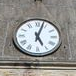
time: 5:03
